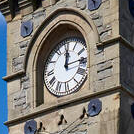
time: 12:13
